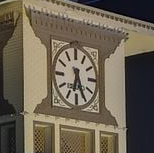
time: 6:25
